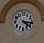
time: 4:16
